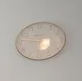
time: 5:46
